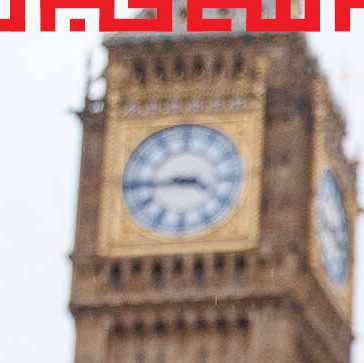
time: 3:43
